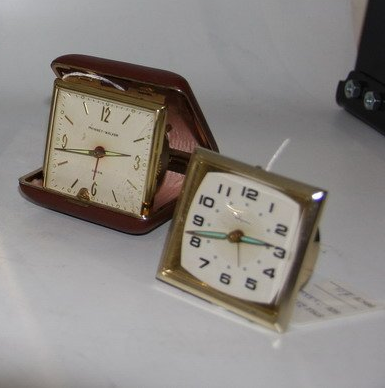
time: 2:42
